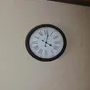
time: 4:02
